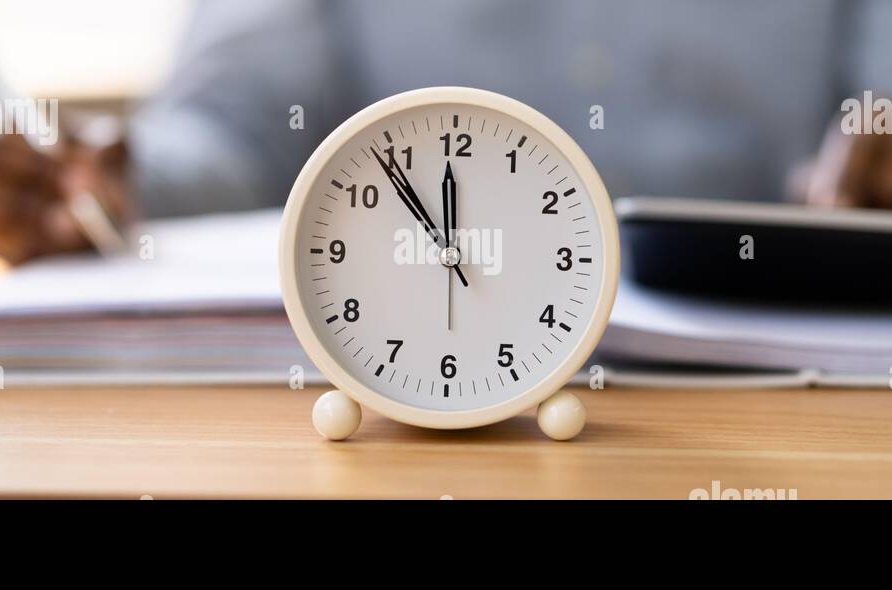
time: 11:53
